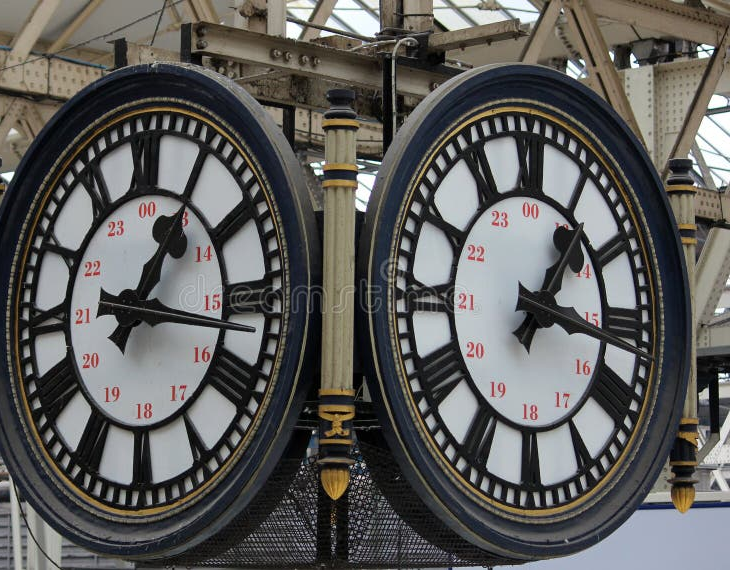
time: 1:16
